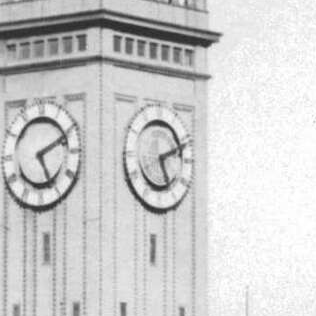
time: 5:11
